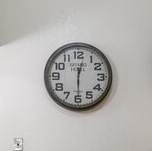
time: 12:29
